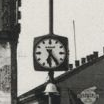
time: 6:23
